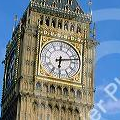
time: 6:12
